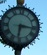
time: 6:16
